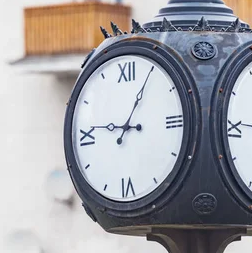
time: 9:04
